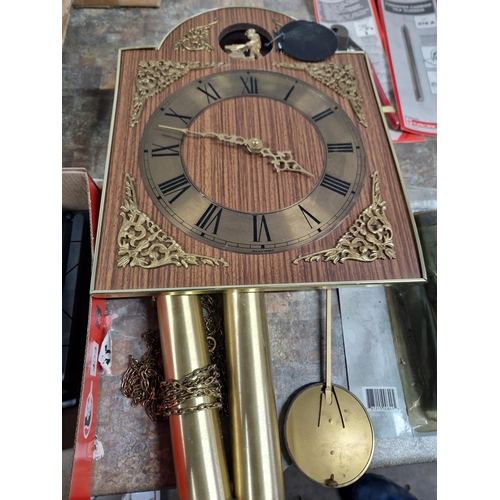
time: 3:47
